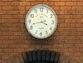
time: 3:42
